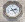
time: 2:23
